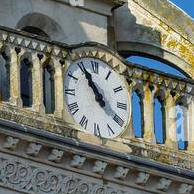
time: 10:55
